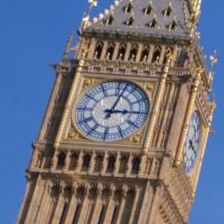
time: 3:02
